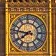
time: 7:46
